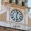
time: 12:28
